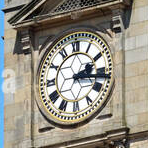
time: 2:16
